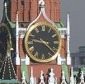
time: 9:22
